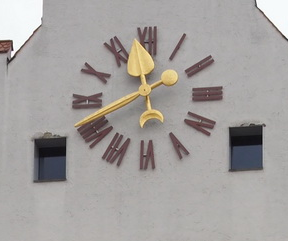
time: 11:40
